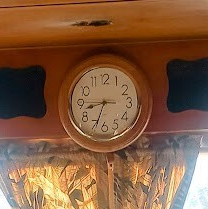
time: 8:33
